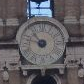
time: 10:47
